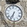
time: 6:35
